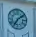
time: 7:08
